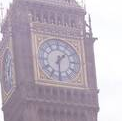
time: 1:30
